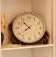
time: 7:52
